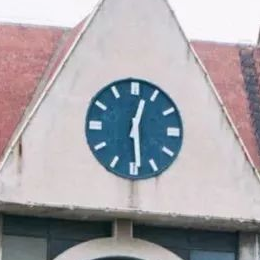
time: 12:29
